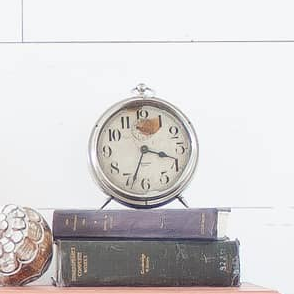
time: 3:33
